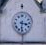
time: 3:31
